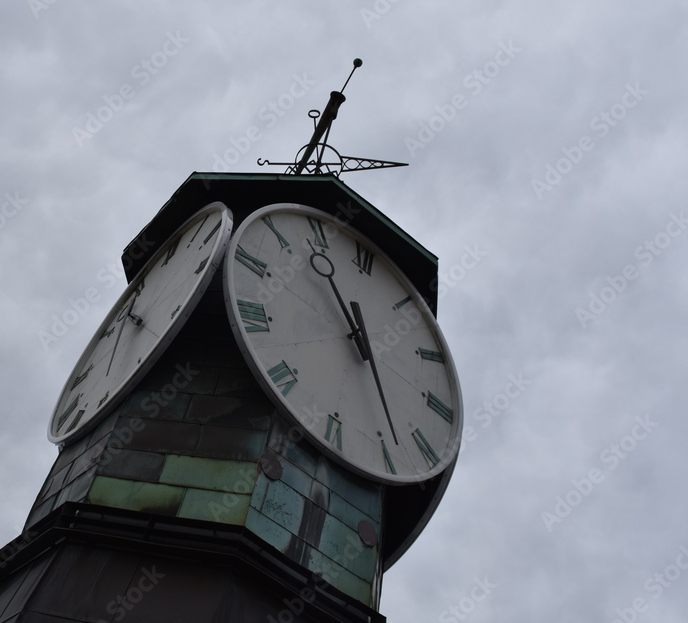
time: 11:28
